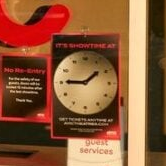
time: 1:45
